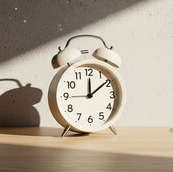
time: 12:08
